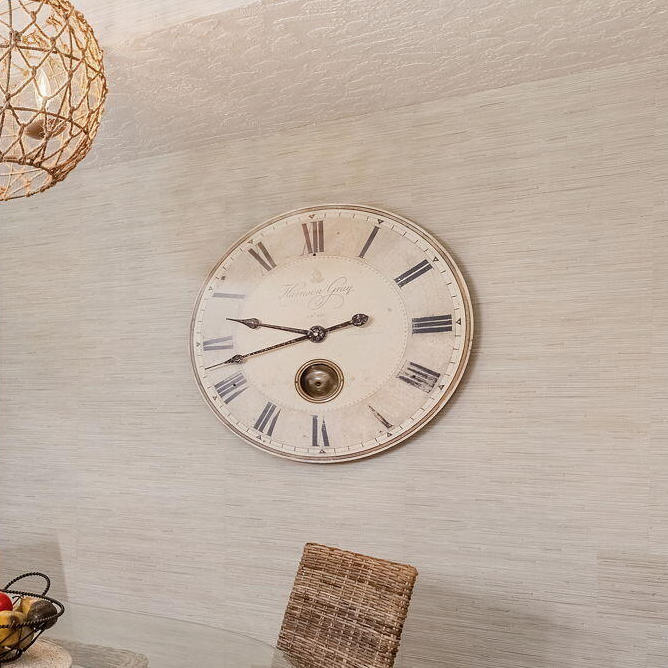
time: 9:42
